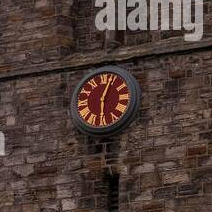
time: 6:03
